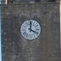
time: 4:01
